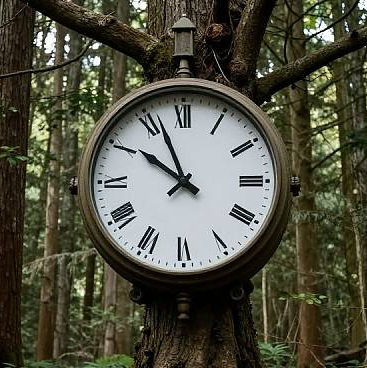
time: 9:56
